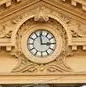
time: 2:58
